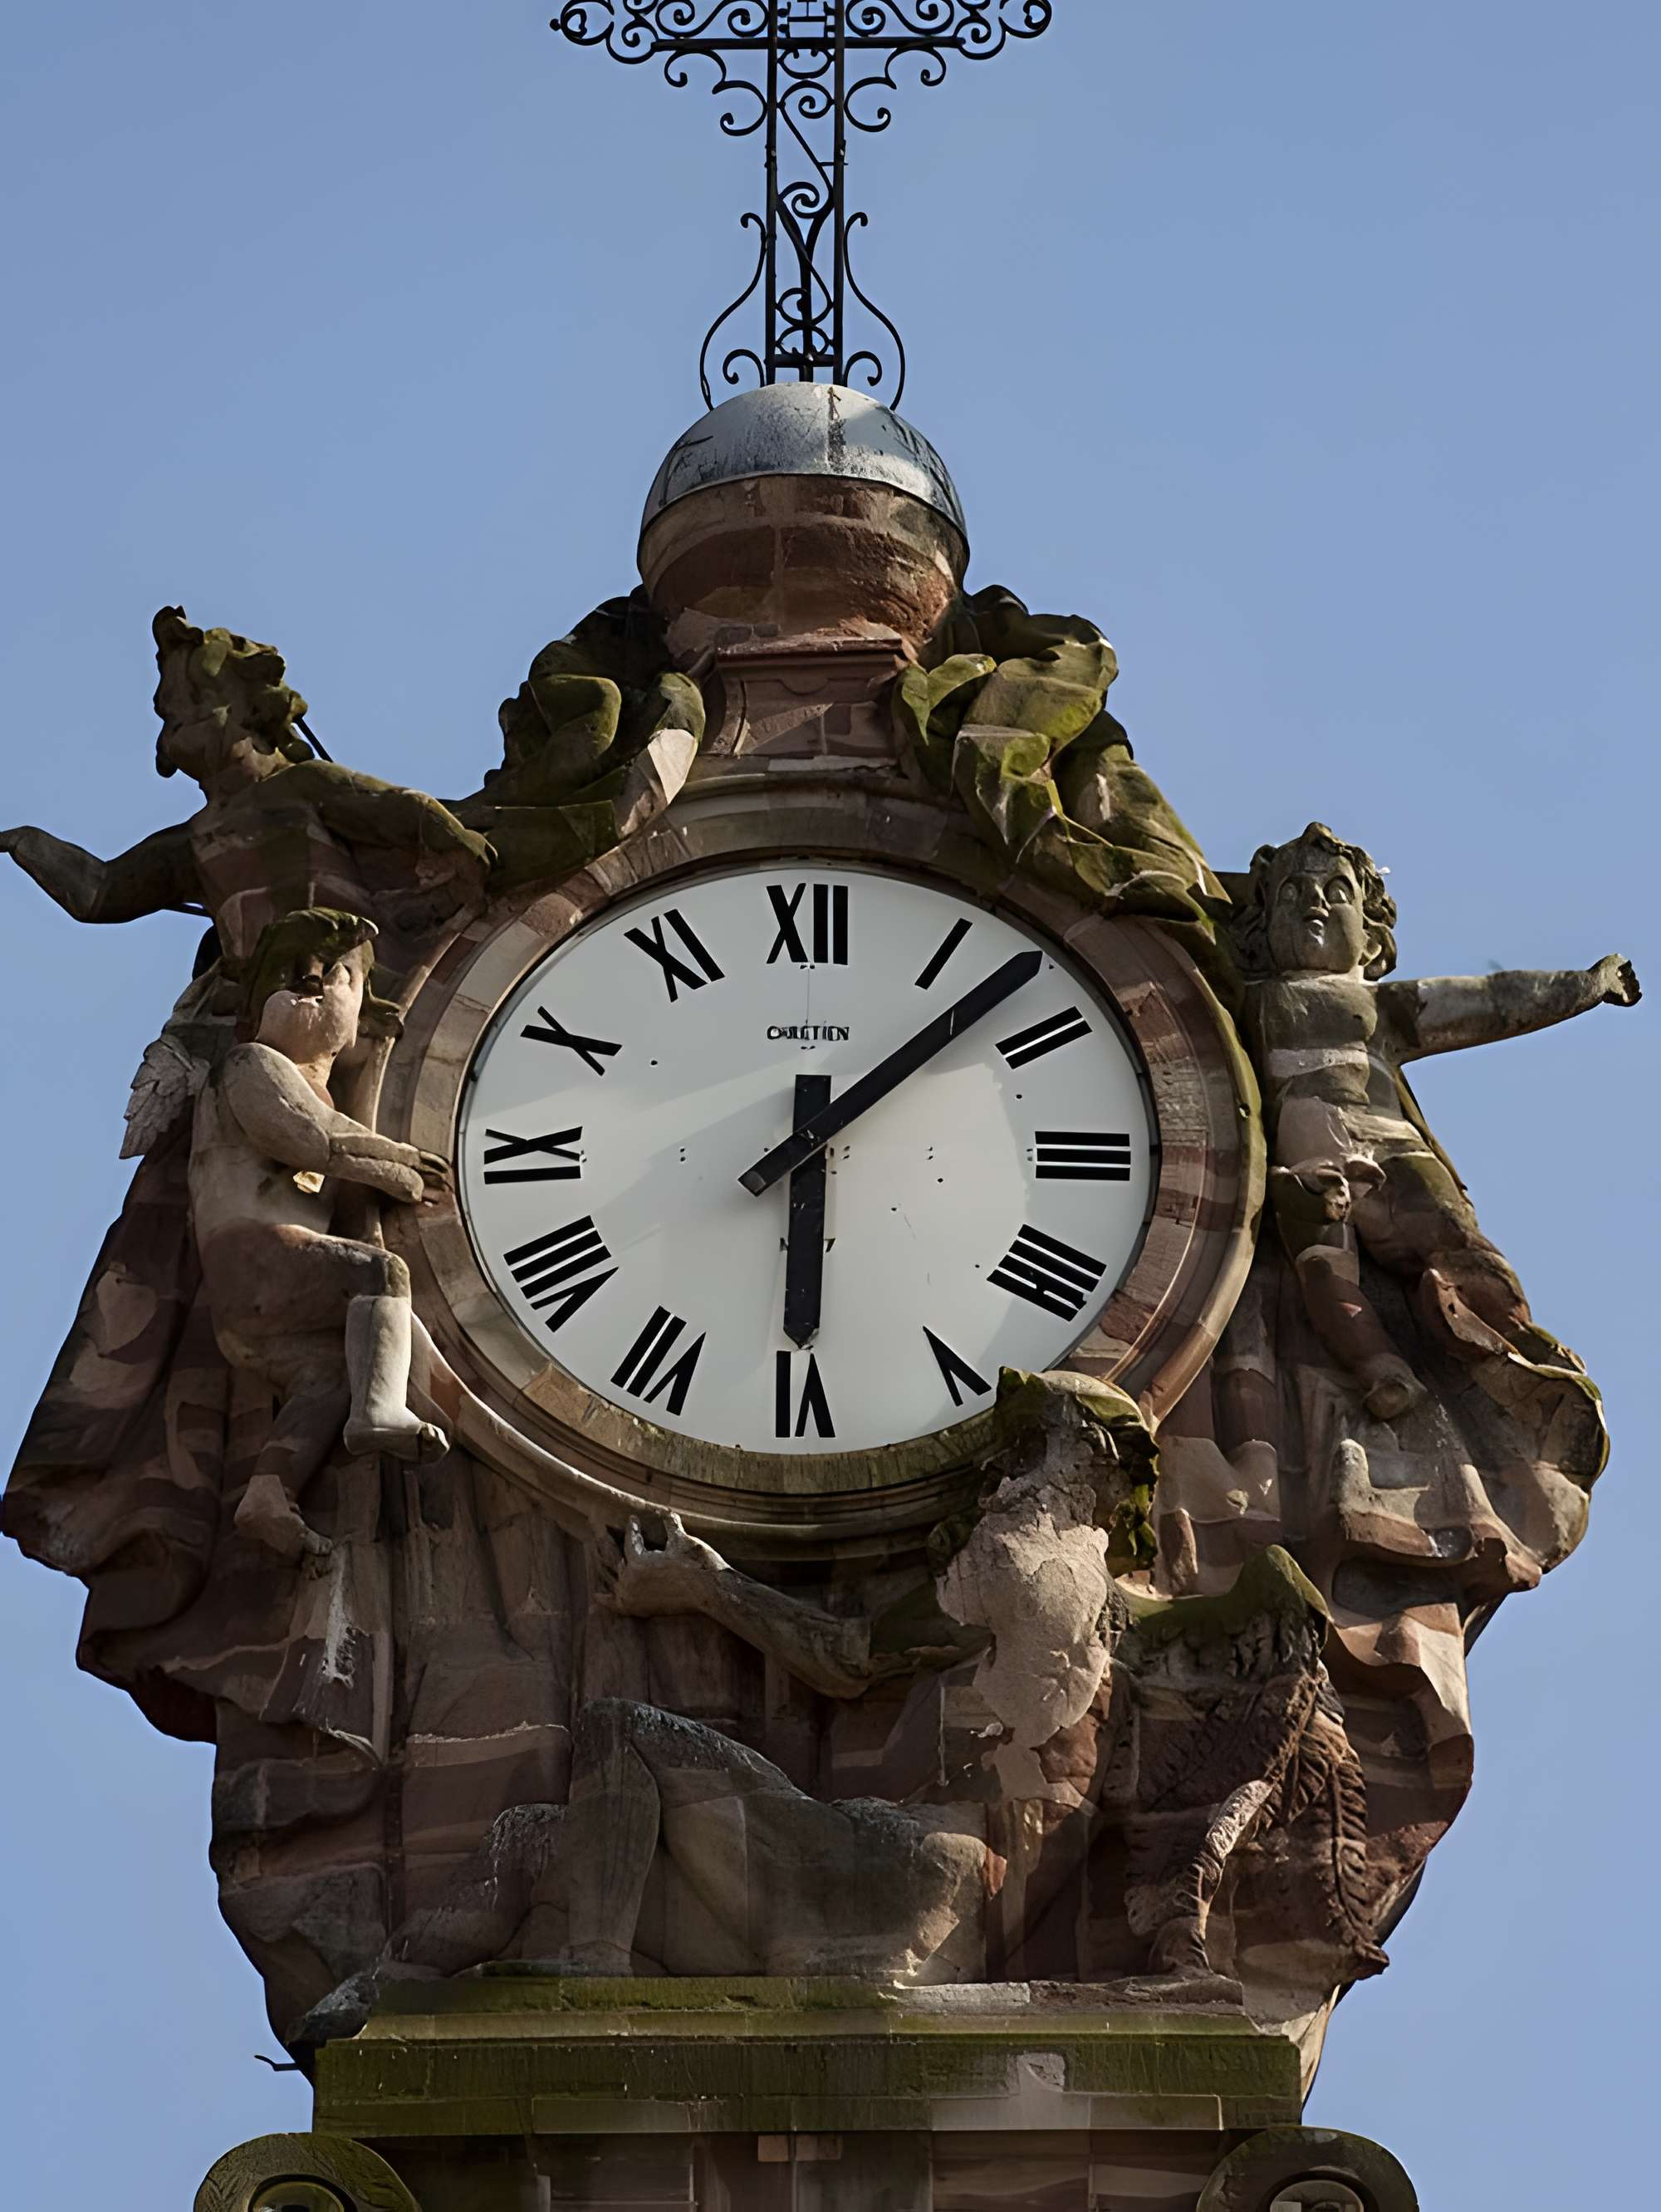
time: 6:07
